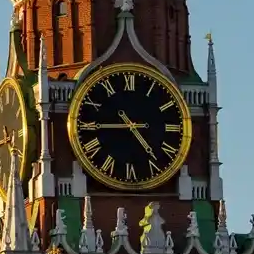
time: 4:44
